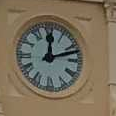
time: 12:12
